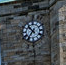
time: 10:36
